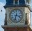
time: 3:32
